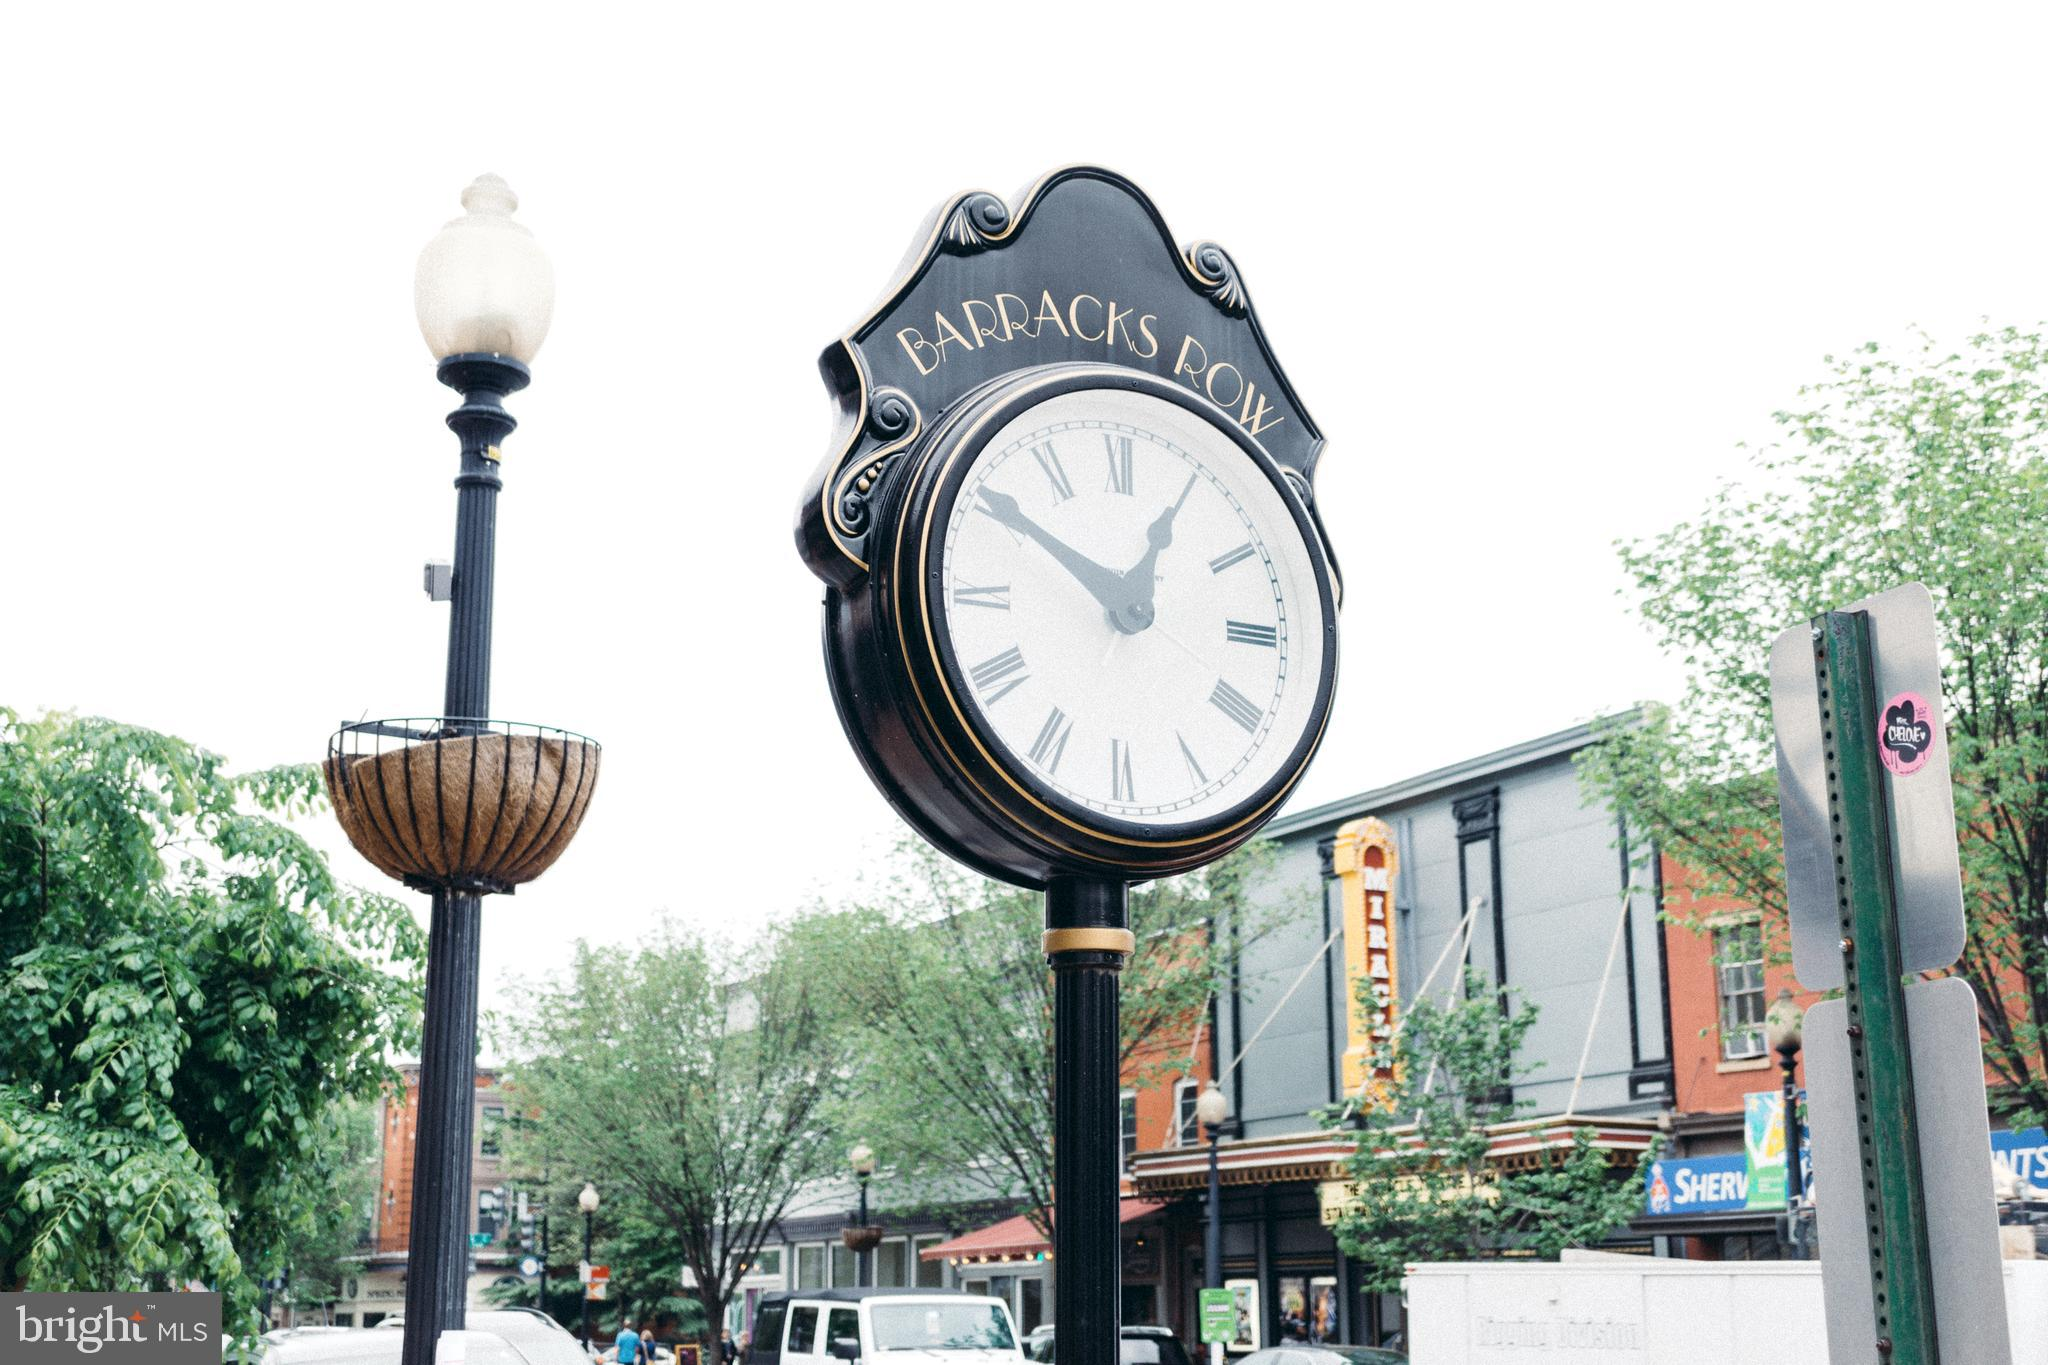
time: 12:49
